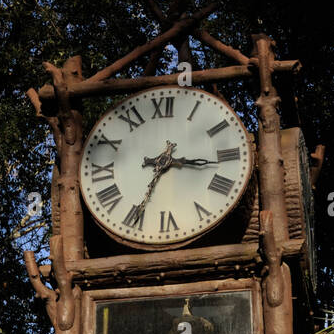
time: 3:34
